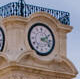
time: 2:17
